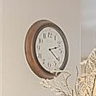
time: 2:21
